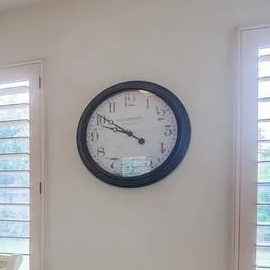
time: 9:51
